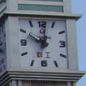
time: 10:01
